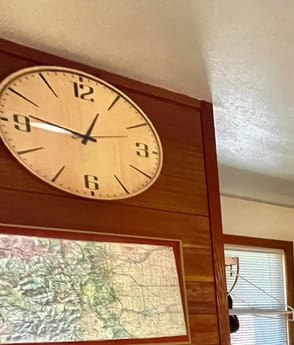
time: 12:46
